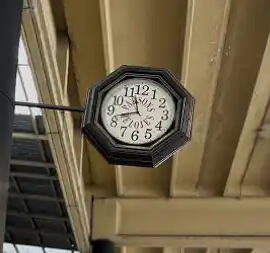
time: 11:42
